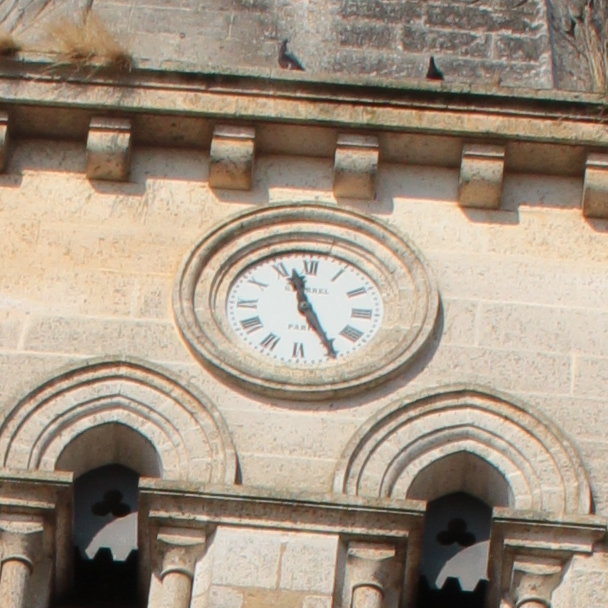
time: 11:25
